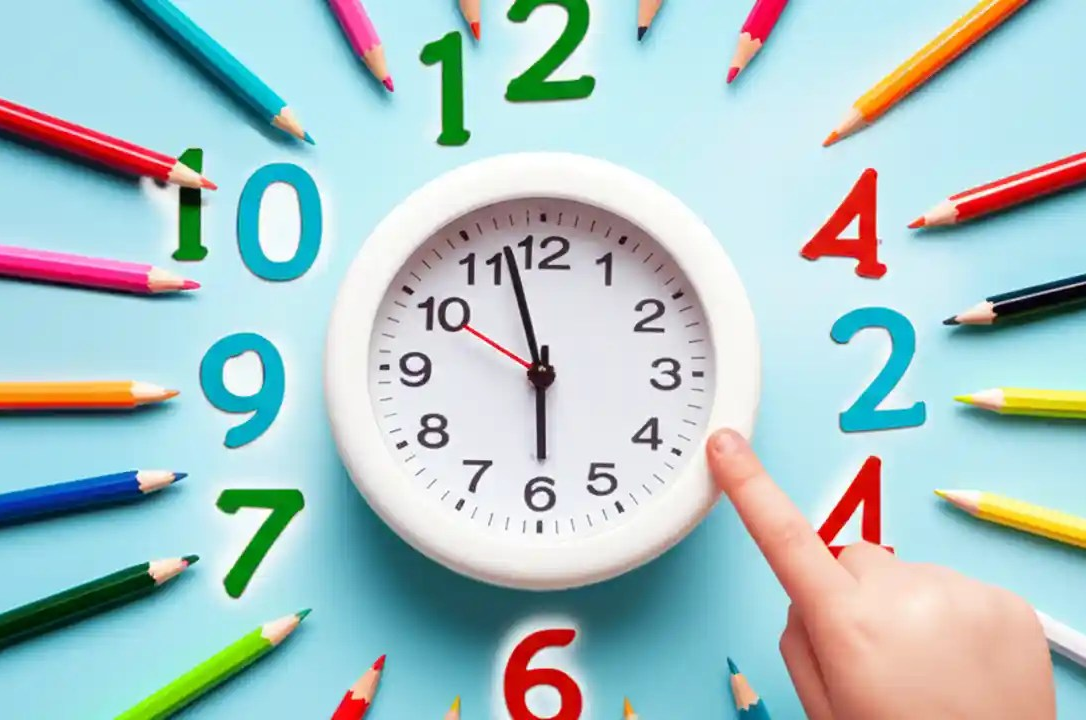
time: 5:57
